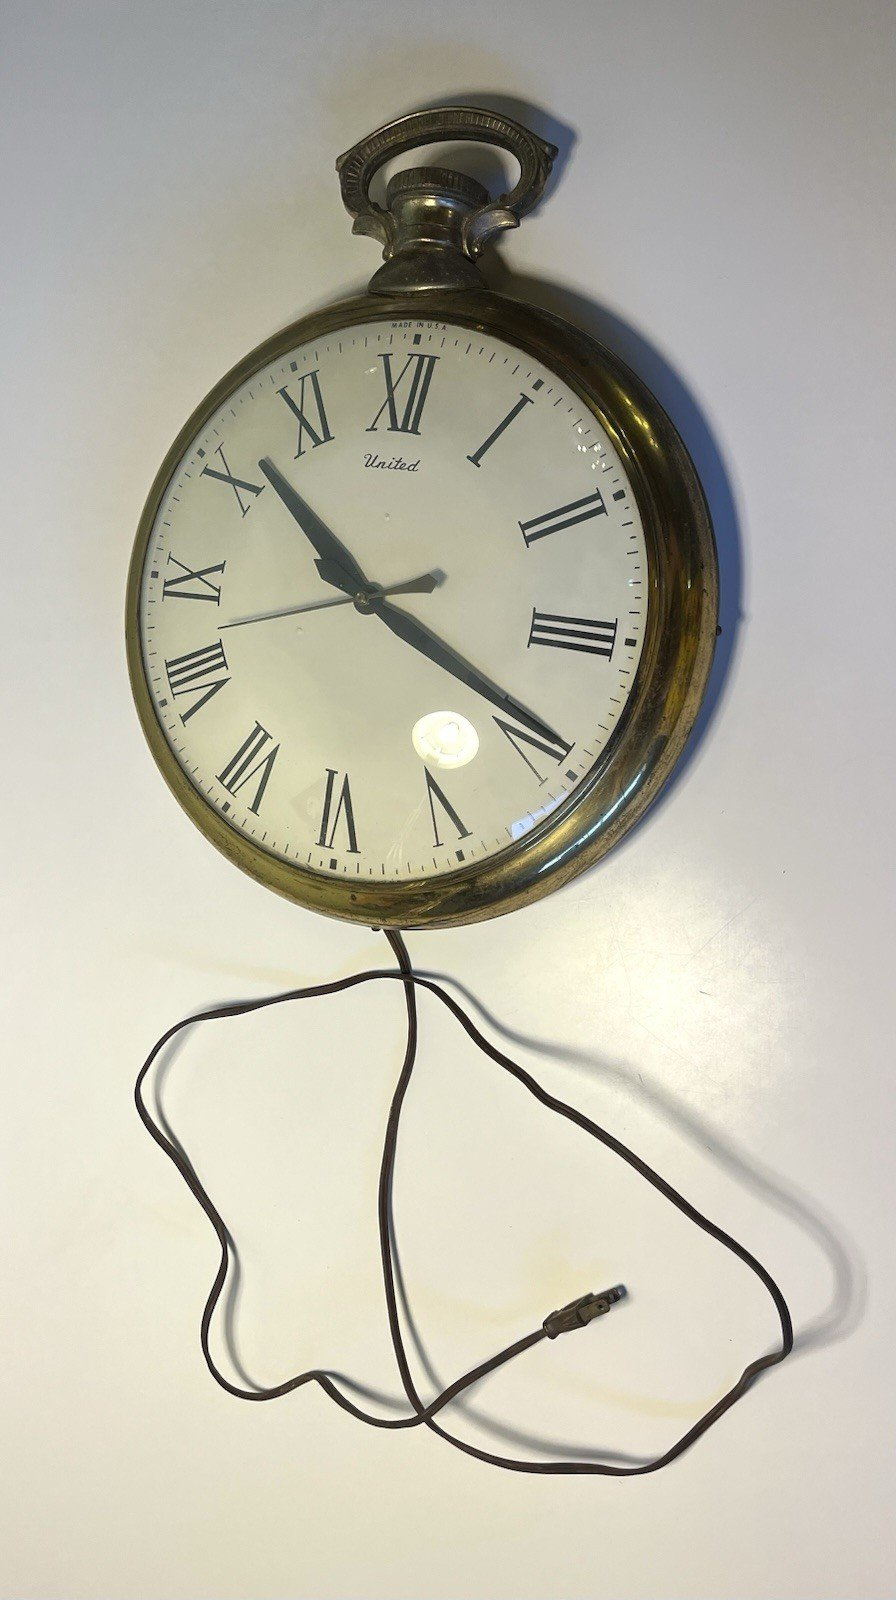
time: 10:19
